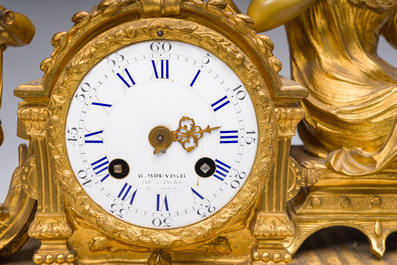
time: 4:13
